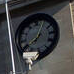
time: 8:04
